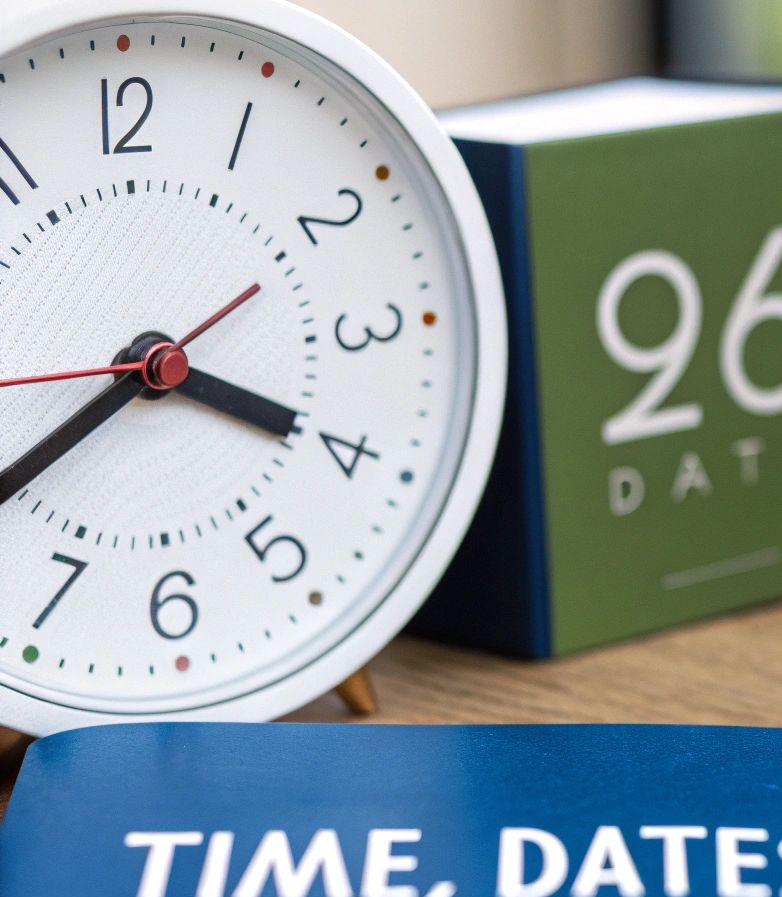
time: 3:40
